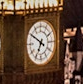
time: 6:50
